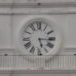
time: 5:15
